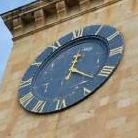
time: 12:21
